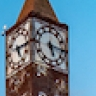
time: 5:15
